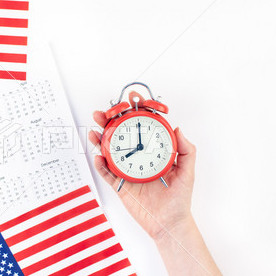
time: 8:00
